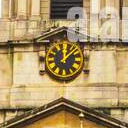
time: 12:07
